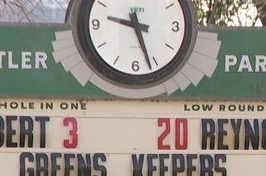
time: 9:26
